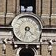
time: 4:32
